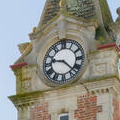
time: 9:22
